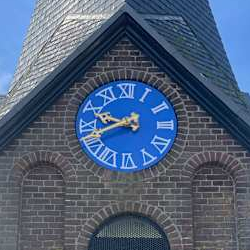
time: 9:41
